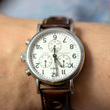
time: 4:28
